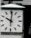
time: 10:00
